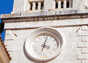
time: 4:02
